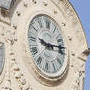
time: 9:13
